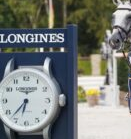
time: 6:37
